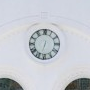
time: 6:32
